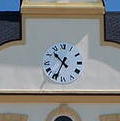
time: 10:34
